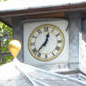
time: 12:37
